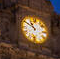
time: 10:50
